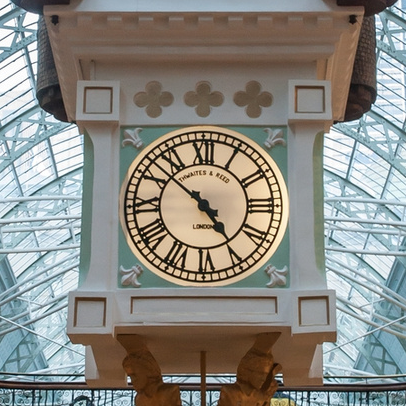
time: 4:52
